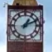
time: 1:11
